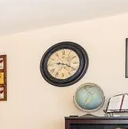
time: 9:19
